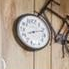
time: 8:11
